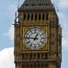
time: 12:46
